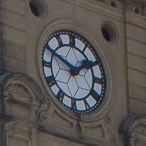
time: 1:49
